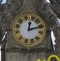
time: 12:12
